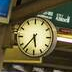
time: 5:36
